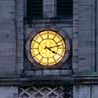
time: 4:12
